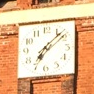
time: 7:08
